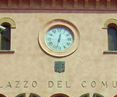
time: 12:32
